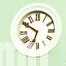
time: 6:50
